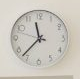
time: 11:37
